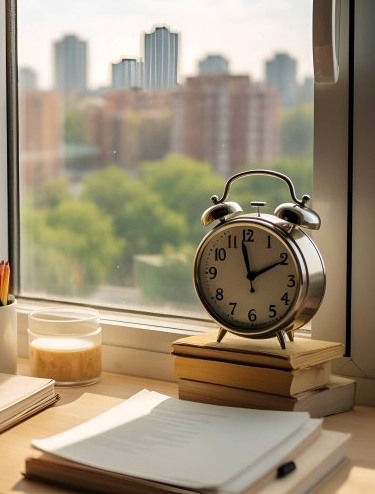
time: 1:58
